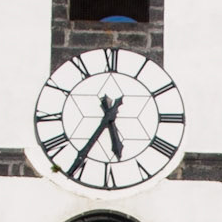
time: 5:35
